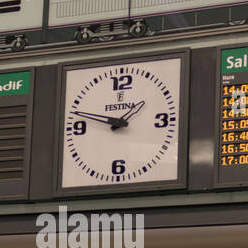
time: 1:47
